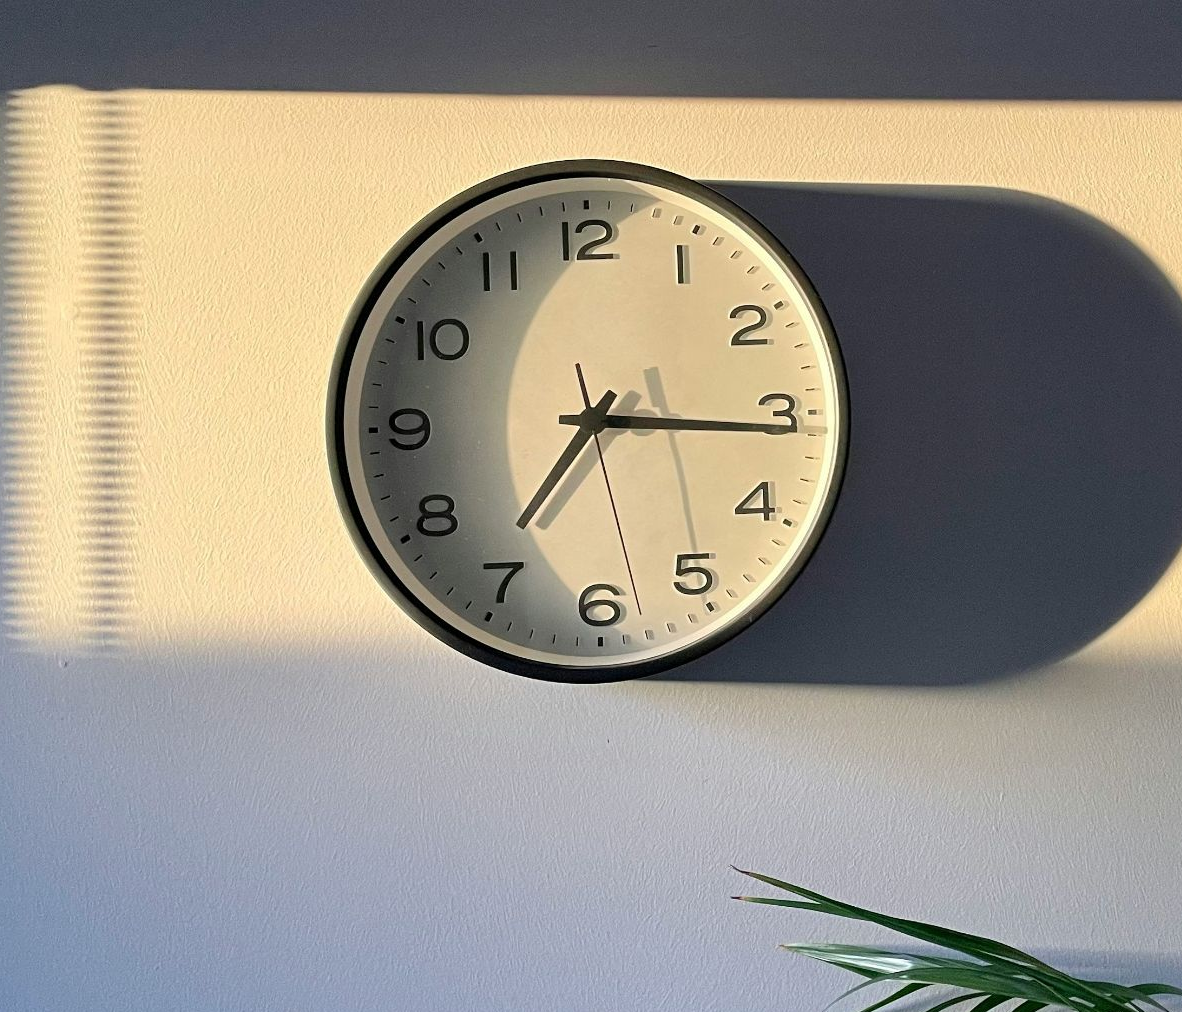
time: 7:15
